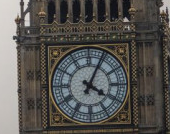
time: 4:04
